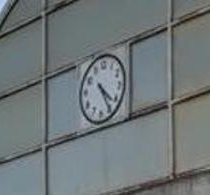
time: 4:24
